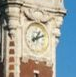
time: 1:11
